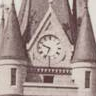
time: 9:33
